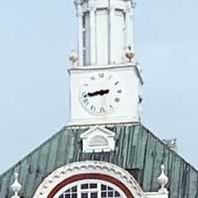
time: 8:43
